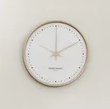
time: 10:00
